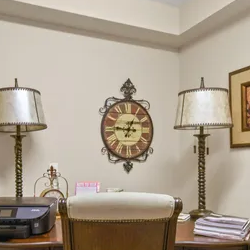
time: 12:46
